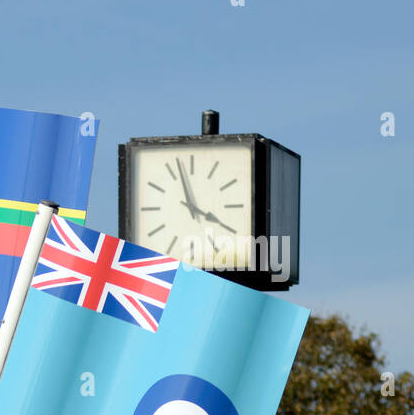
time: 3:57
